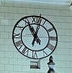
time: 11:02
